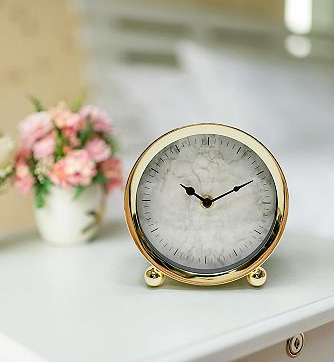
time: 10:10
